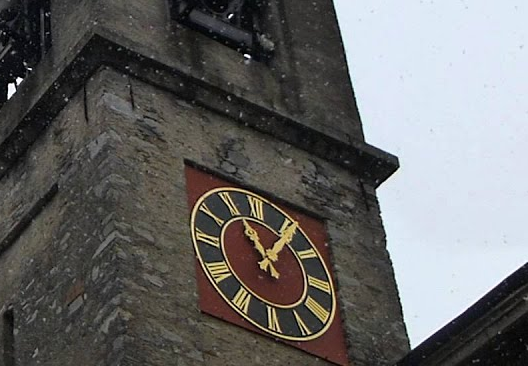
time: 11:06
